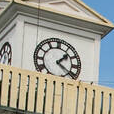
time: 1:20
